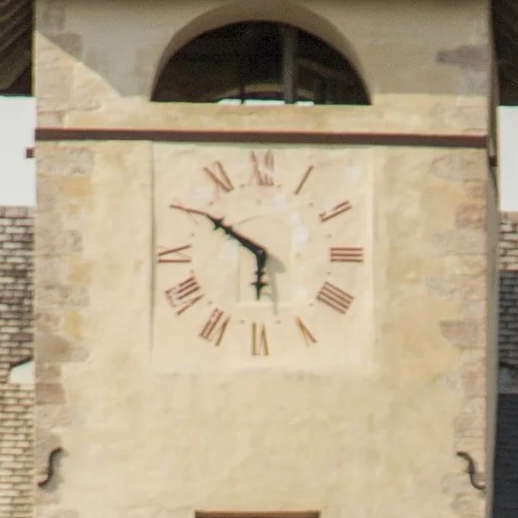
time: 5:50
